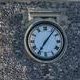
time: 7:06
